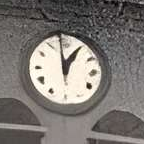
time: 12:59
